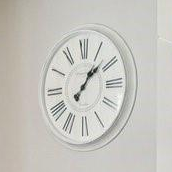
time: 1:08
